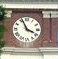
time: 3:56
